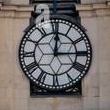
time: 12:14
